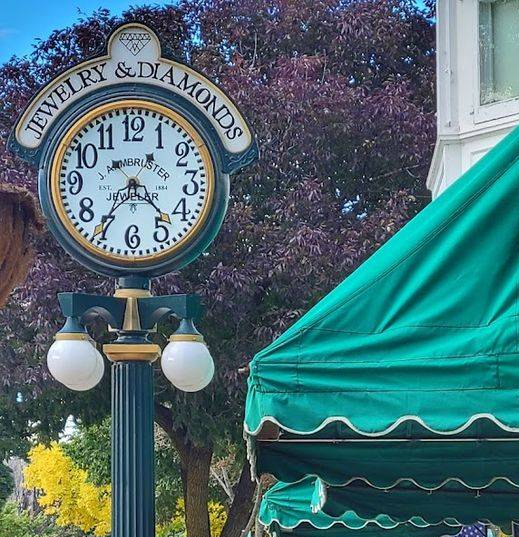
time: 4:35
